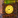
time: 8:38
